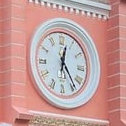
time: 12:23
